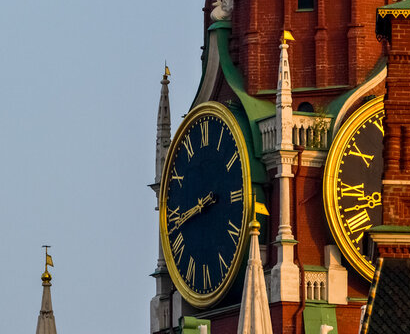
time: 8:43
